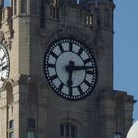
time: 6:13
